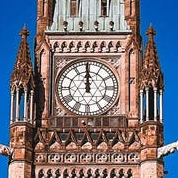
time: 11:59
